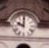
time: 10:00
